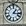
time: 1:16
